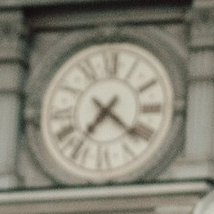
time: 7:21
